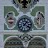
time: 1:20
